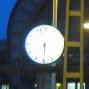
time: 5:56
